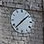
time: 1:37
